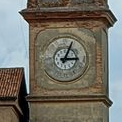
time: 3:04
